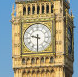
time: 9:30
